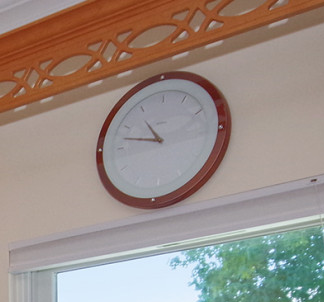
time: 10:47
